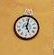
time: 5:01
